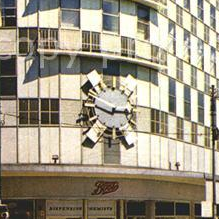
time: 2:48
